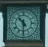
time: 10:30
